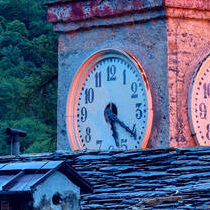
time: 5:20
